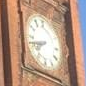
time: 7:42
